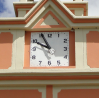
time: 9:55
